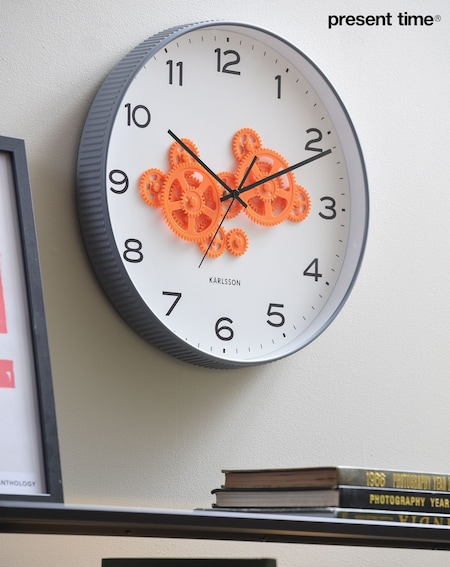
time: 10:11
